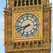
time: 7:42
